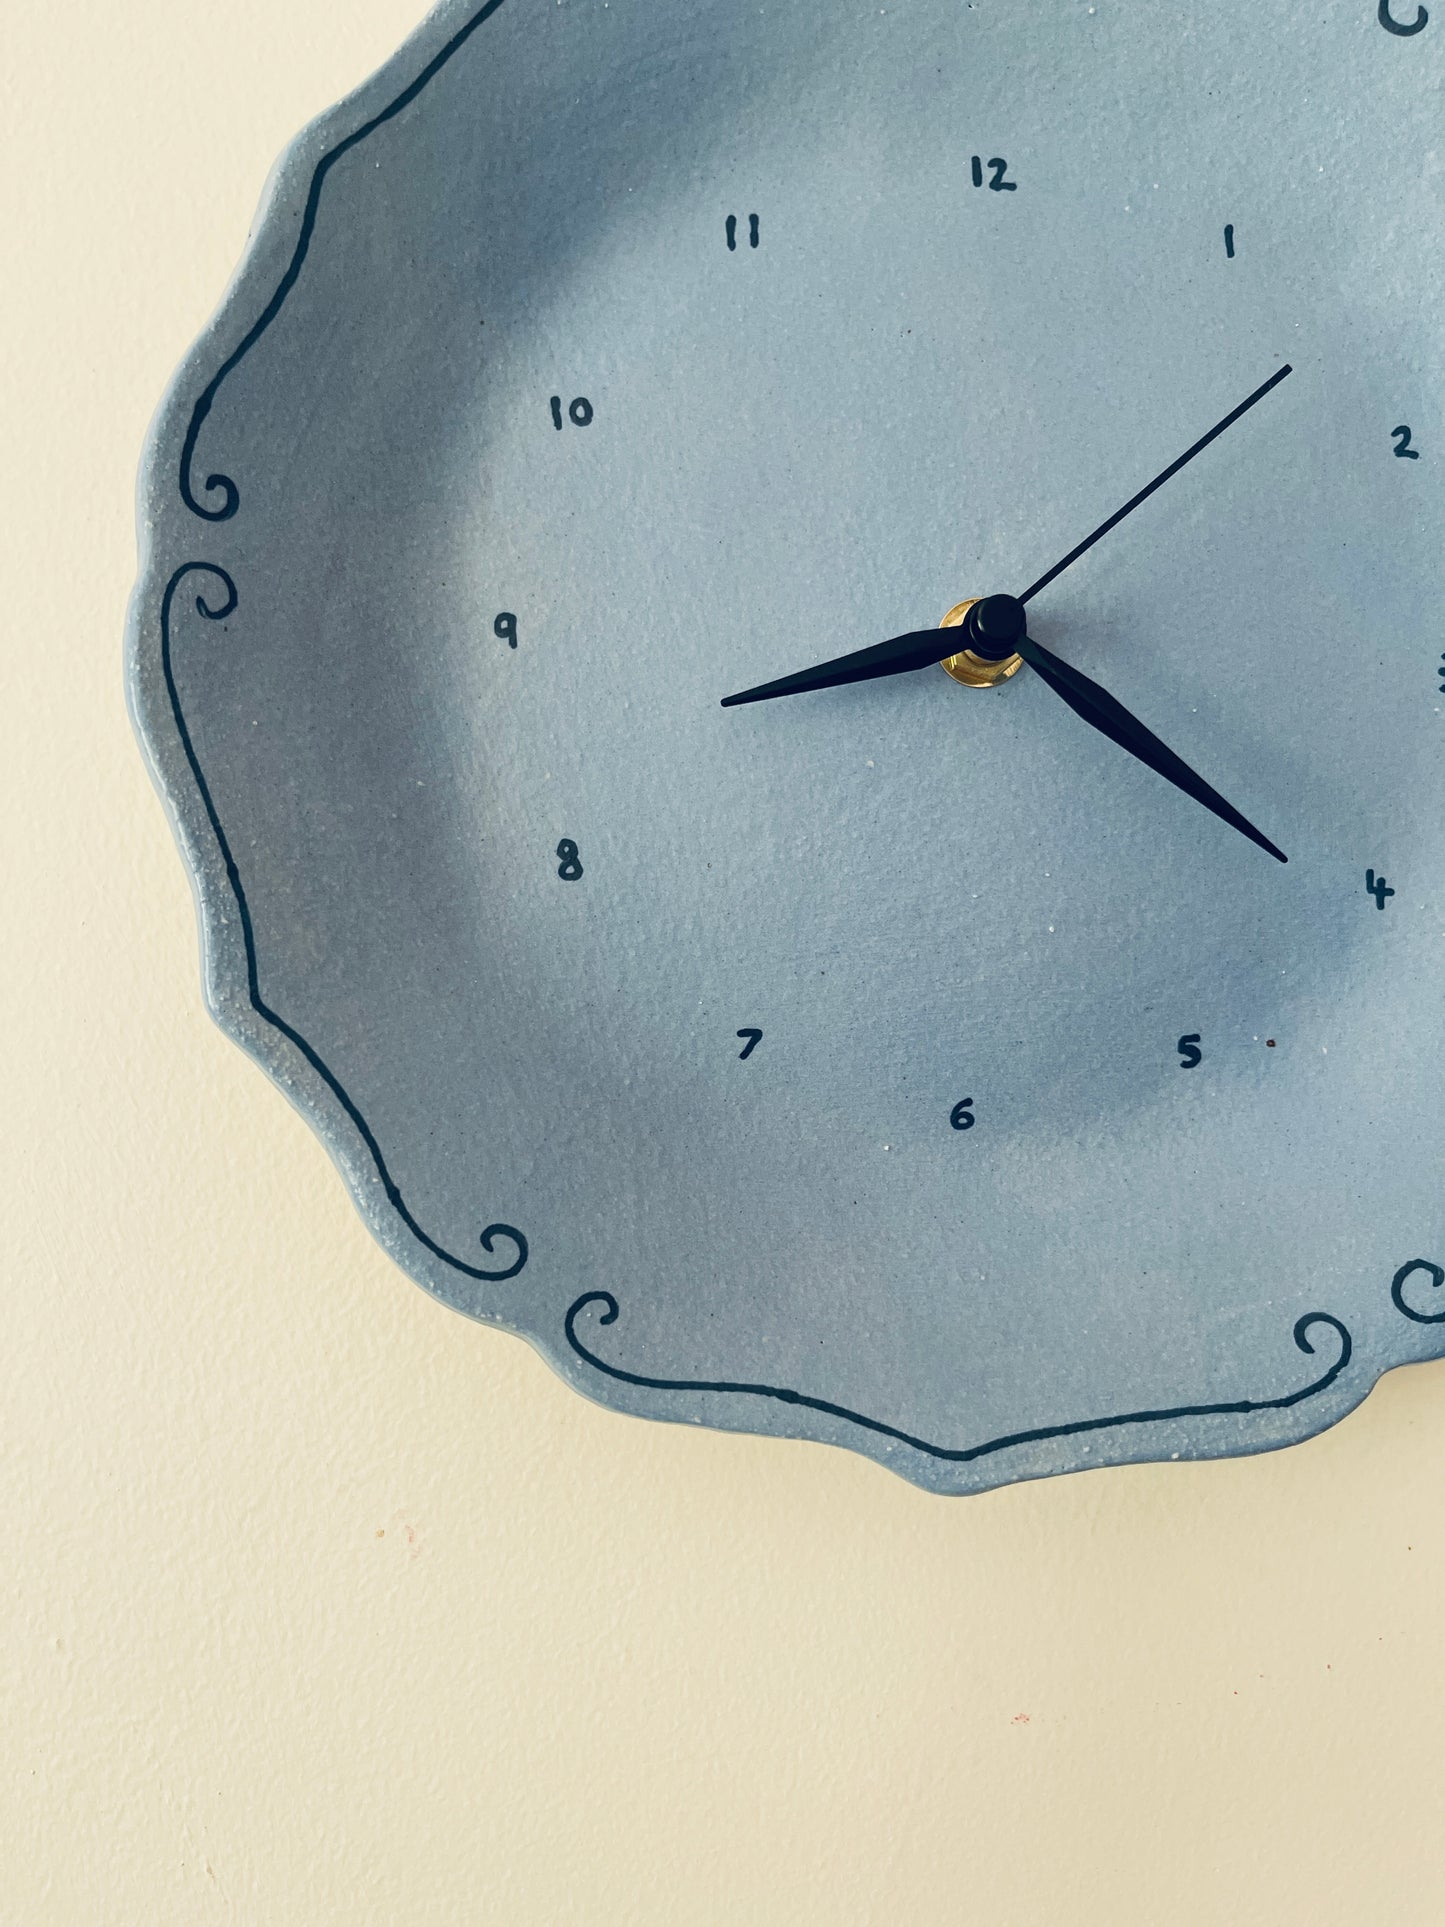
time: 8:20
